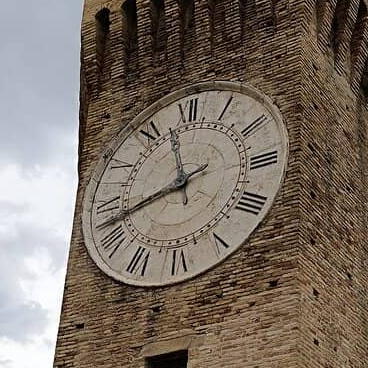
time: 11:42
